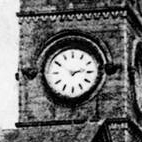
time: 2:49
